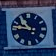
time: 10:46
